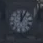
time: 12:05
